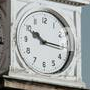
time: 10:15
